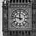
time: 11:47
